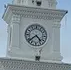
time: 4:38
